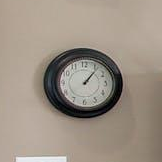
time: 1:06
